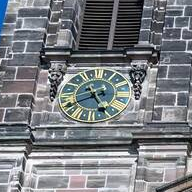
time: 4:40
